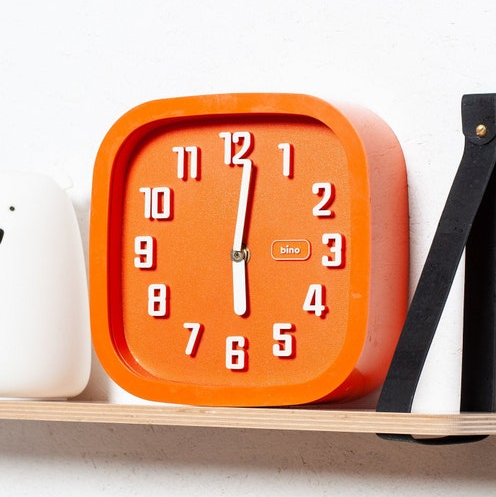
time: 6:01
